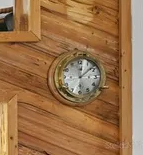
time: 12:07
